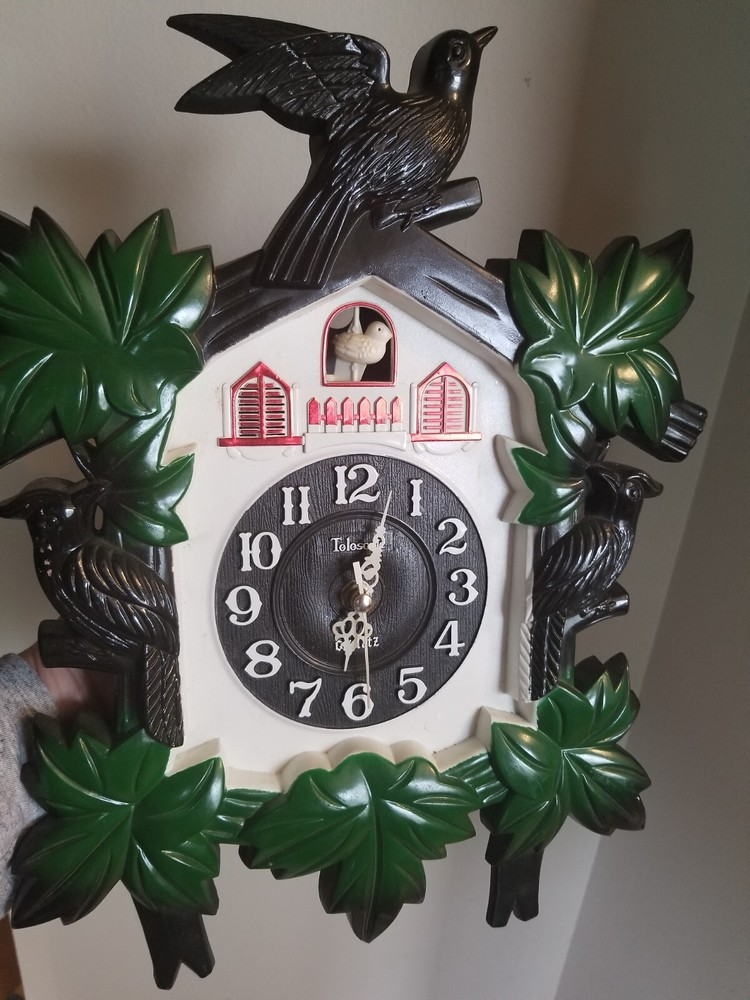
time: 6:03
